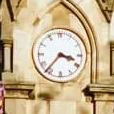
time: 3:36
